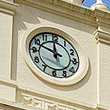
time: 11:48
